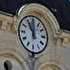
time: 11:00
